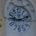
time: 9:11
